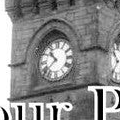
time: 10:38
